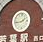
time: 1:43
